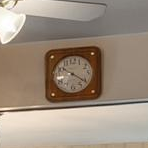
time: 10:20
